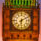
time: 6:10
